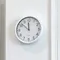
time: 11:51
